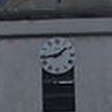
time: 1:43
